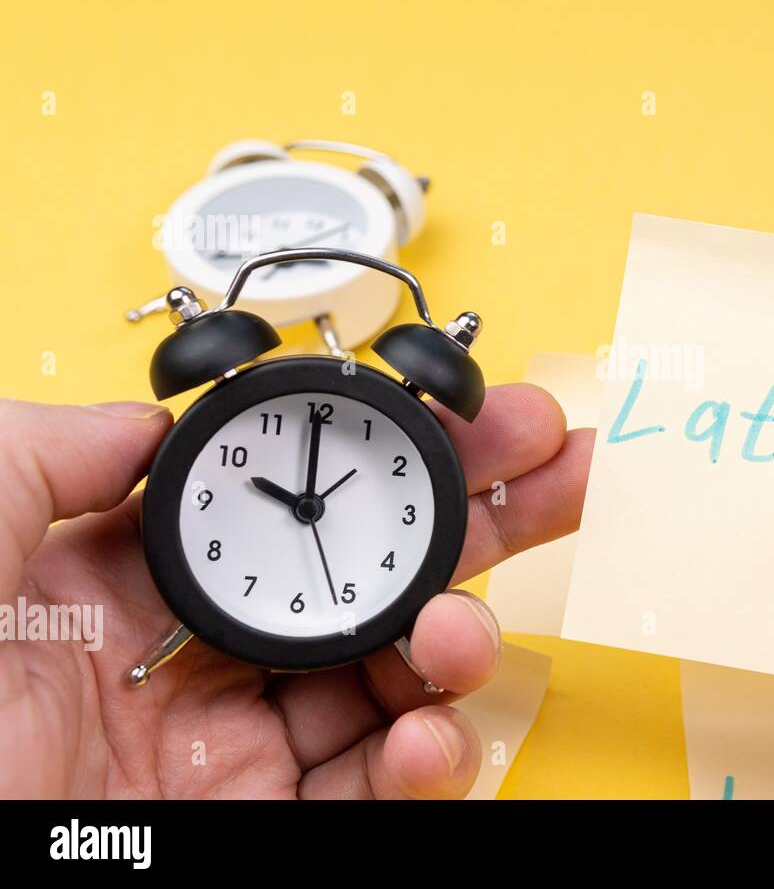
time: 10:00
